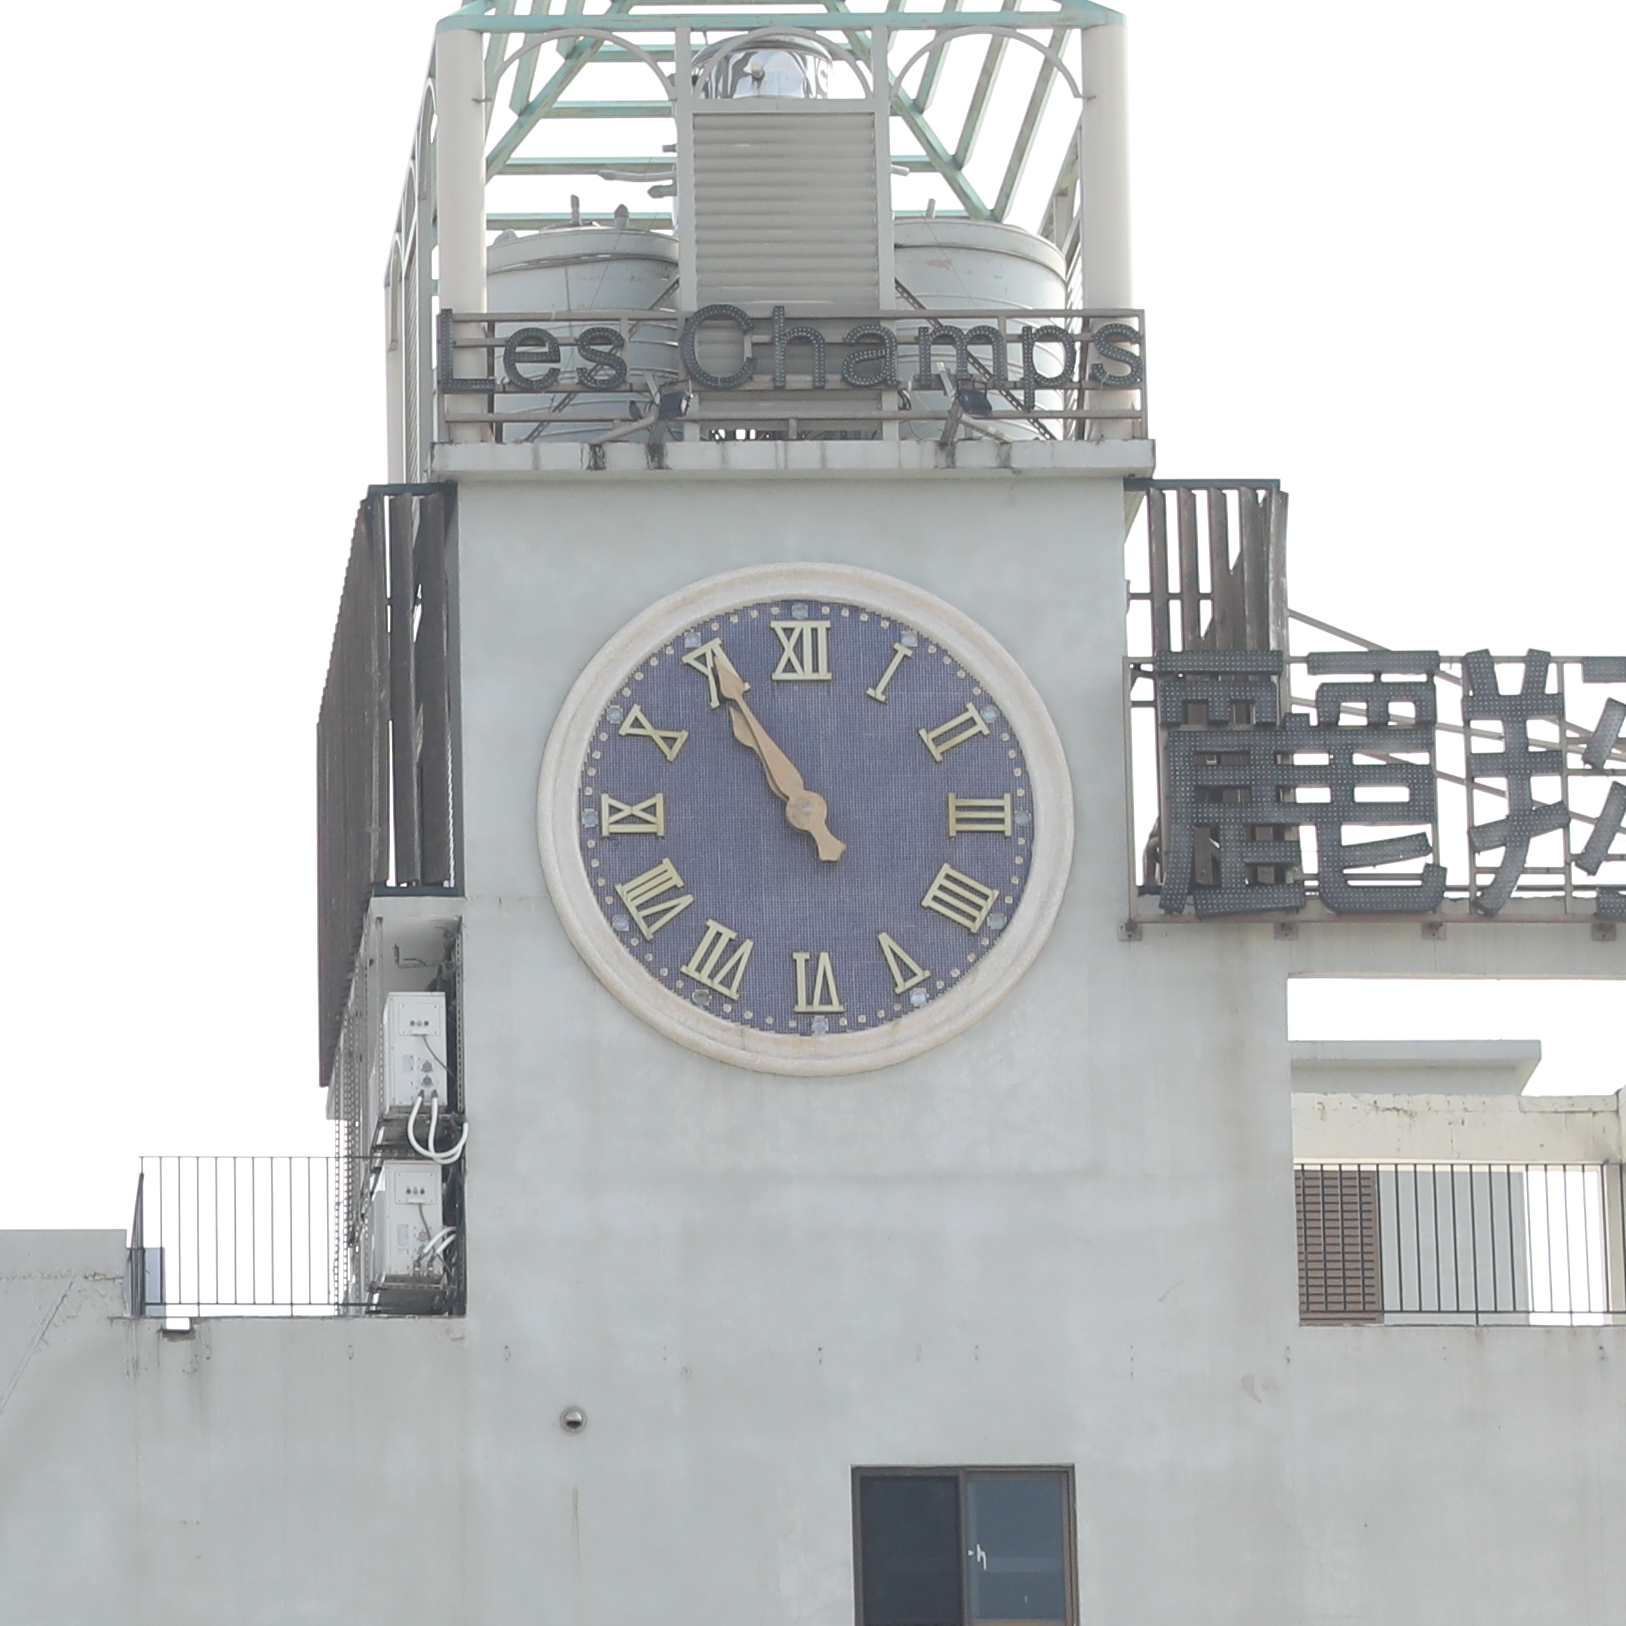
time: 10:55
